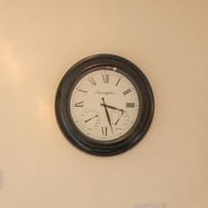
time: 3:27
